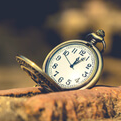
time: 1:09
